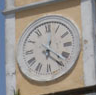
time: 4:01
